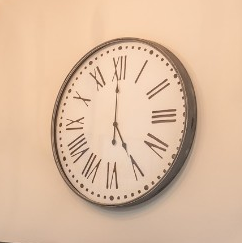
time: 5:00
